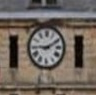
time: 9:10
